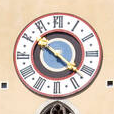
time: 10:22
